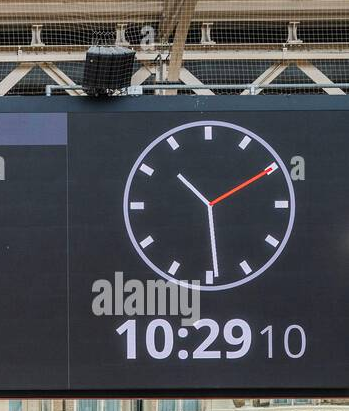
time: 10:29
